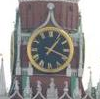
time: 1:18
